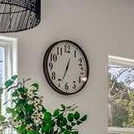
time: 12:33
